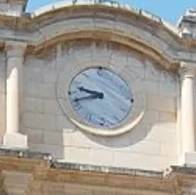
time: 9:42
